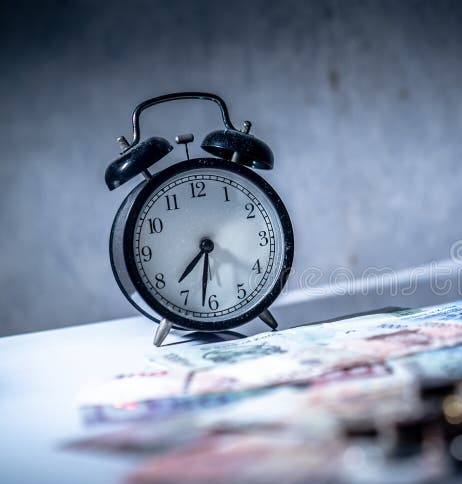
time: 7:32
